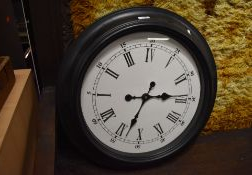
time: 2:33
